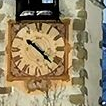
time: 10:22
